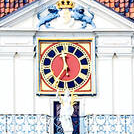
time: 11:35
